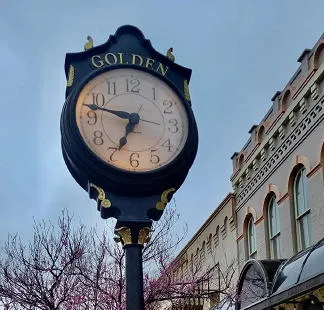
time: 6:47
